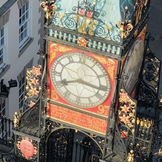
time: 8:16
